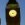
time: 4:12
